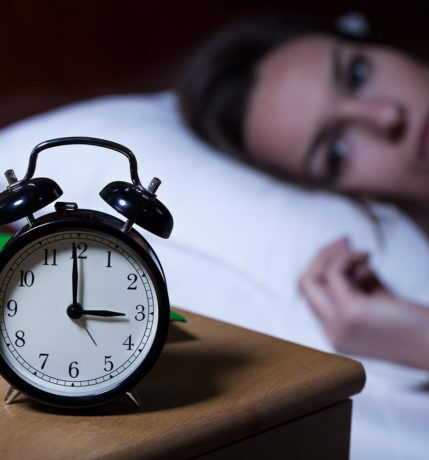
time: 2:59
